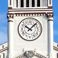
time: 10:07
